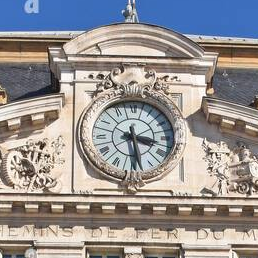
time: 3:28
